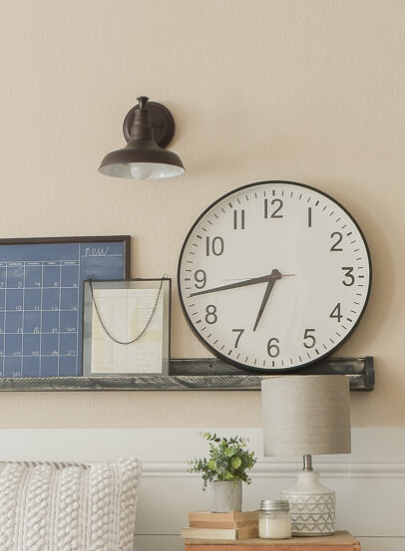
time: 6:43
